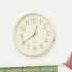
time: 12:40
